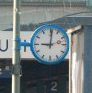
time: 9:01
